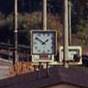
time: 1:50
